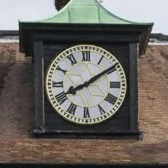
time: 8:09
